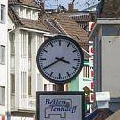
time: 3:40
